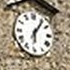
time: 6:06
